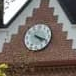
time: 4:18
